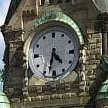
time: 4:33
